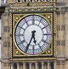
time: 5:34
